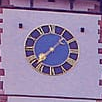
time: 7:37
